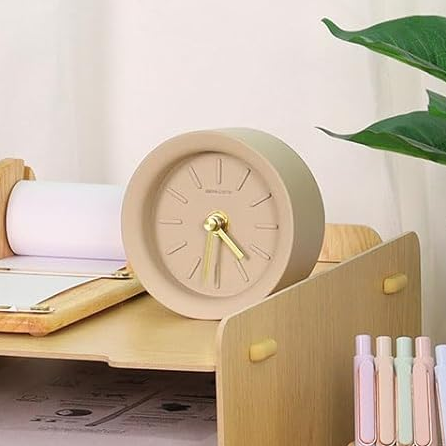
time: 4:30
